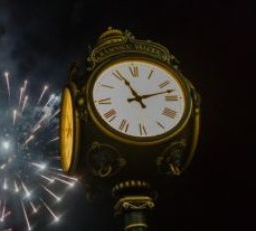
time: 11:12
